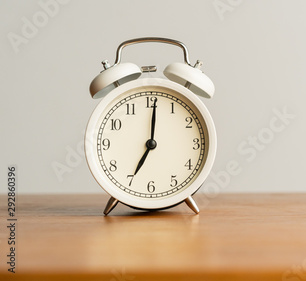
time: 7:01
